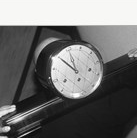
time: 10:50
